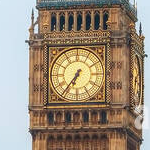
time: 6:36
